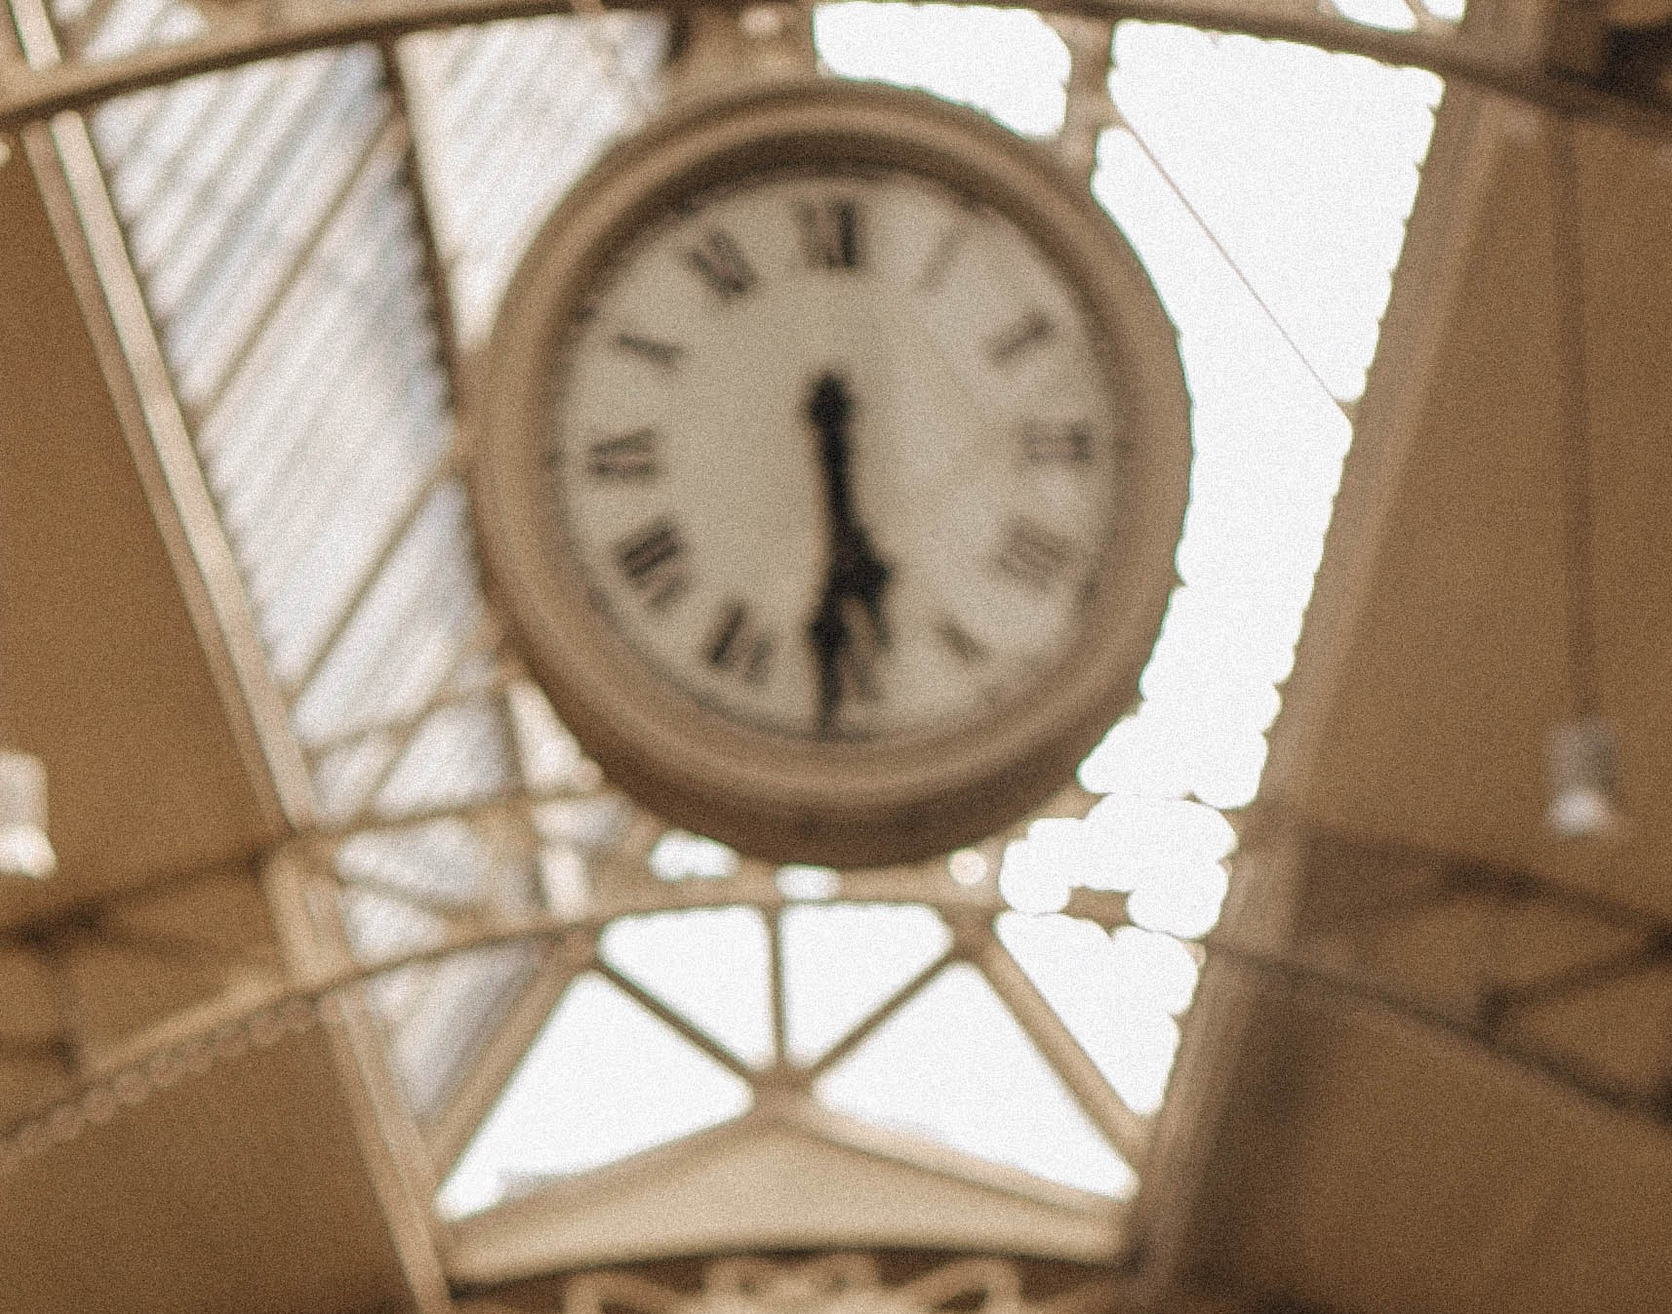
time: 5:30
